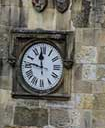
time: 11:46
